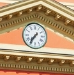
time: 7:36
